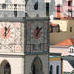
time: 12:07
